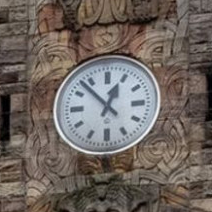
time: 12:52
